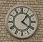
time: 1:20
